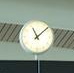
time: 11:07
